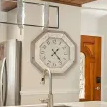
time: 1:23
